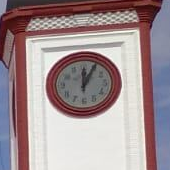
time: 12:04
